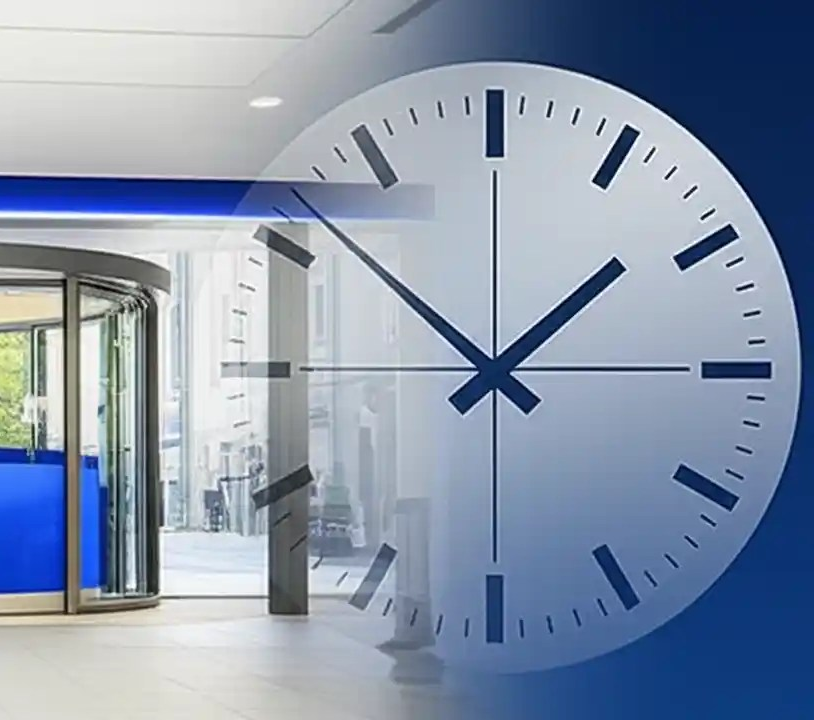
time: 1:51
